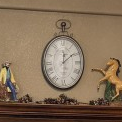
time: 12:09
